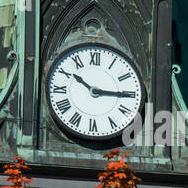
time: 10:15
